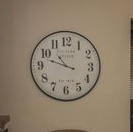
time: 10:47
